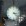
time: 3:22
